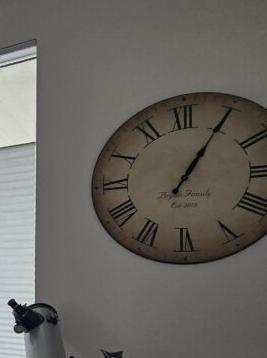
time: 1:05
